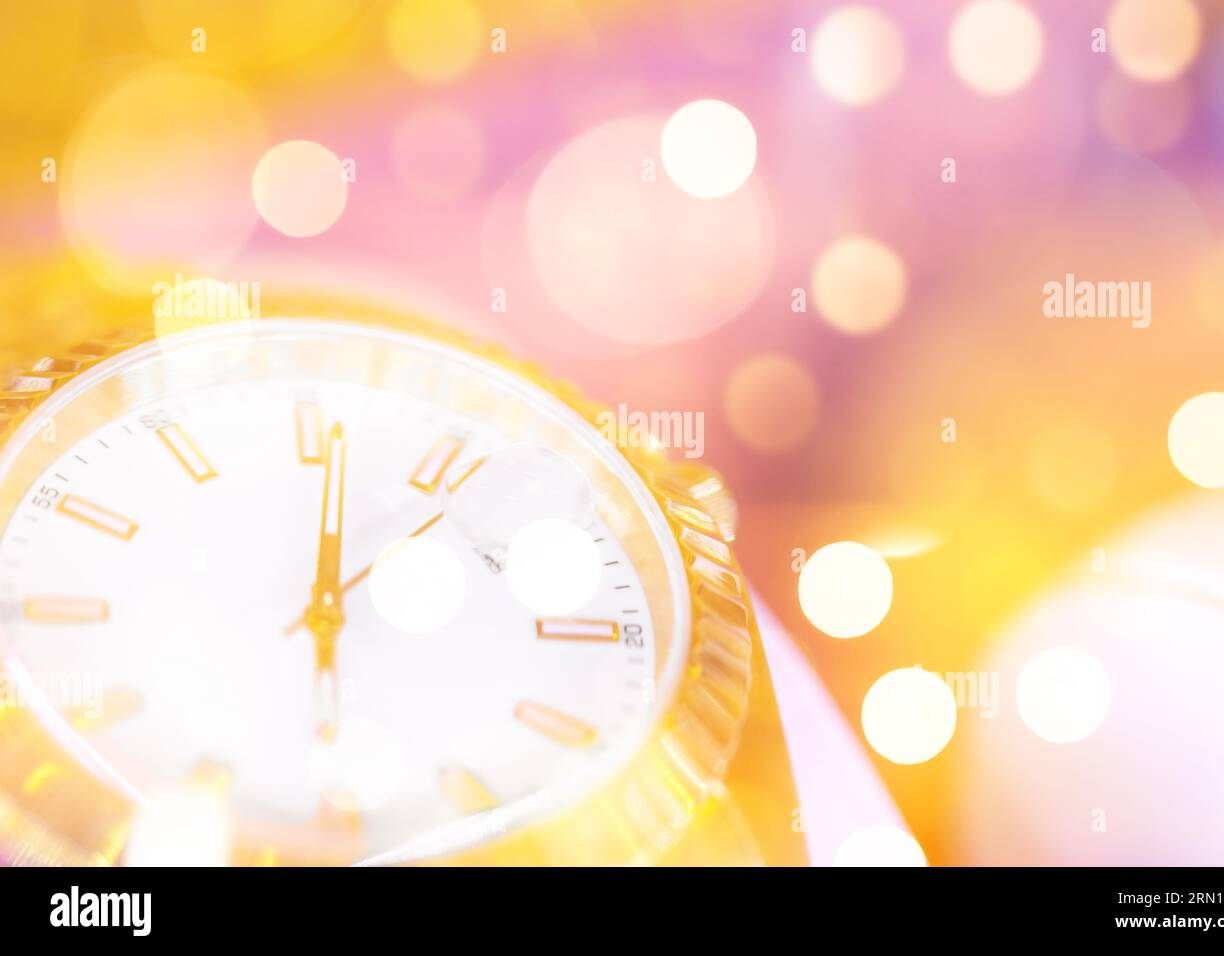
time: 6:01
